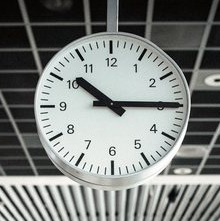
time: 10:14
